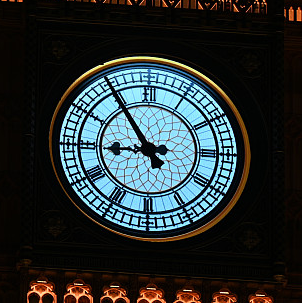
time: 8:54
